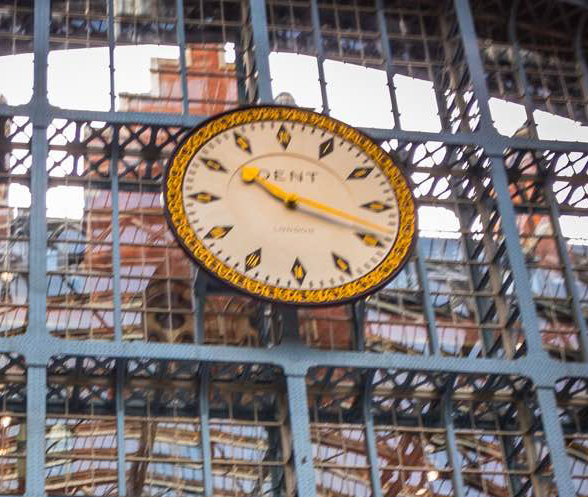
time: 10:18
